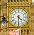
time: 4:30
